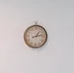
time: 1:12
